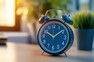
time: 10:09
